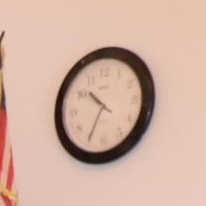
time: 10:34
